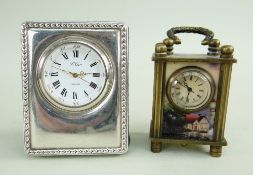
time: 2:48
